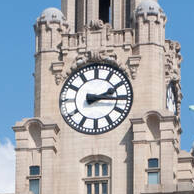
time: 2:15
